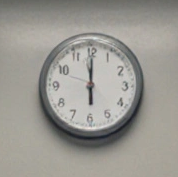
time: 5:59
